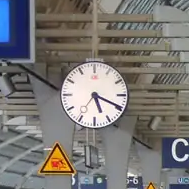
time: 5:19
